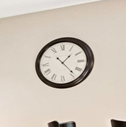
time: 1:23
